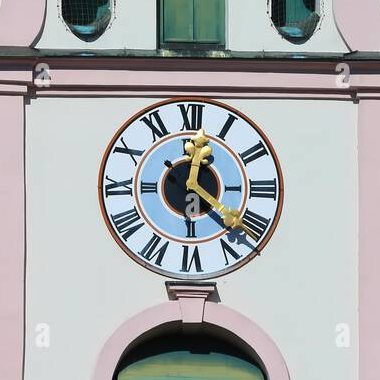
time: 12:22
